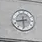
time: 8:29
